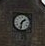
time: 1:32
